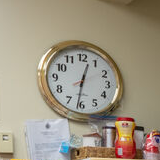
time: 12:31
